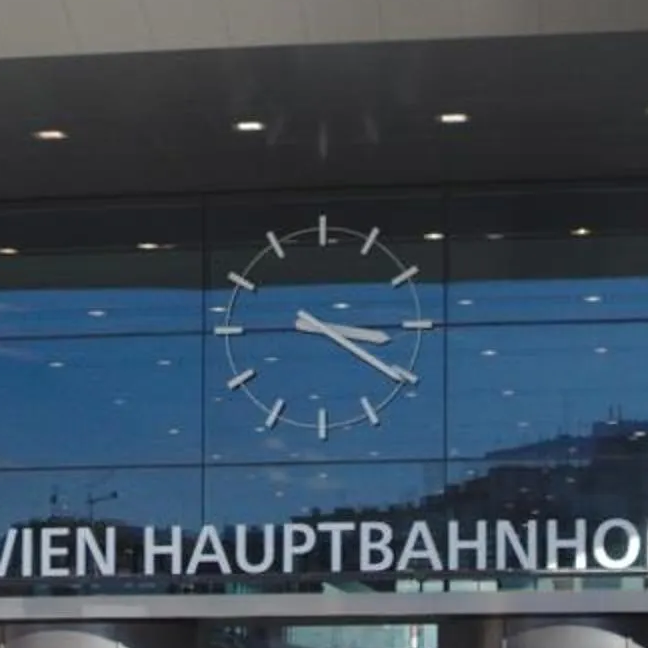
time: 3:20
